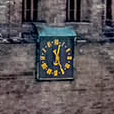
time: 11:02
